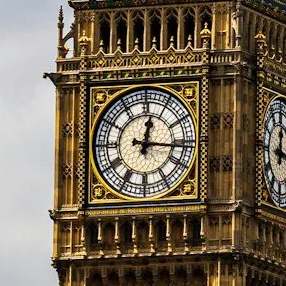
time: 12:15
